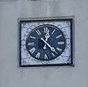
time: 12:23
